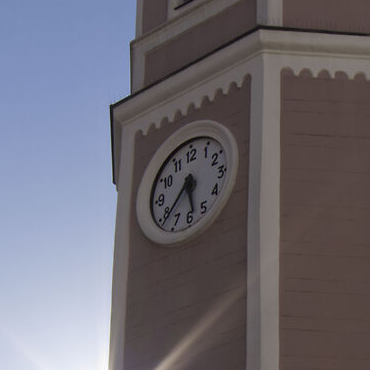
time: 5:38
